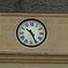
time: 10:25
